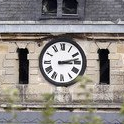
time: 3:12
